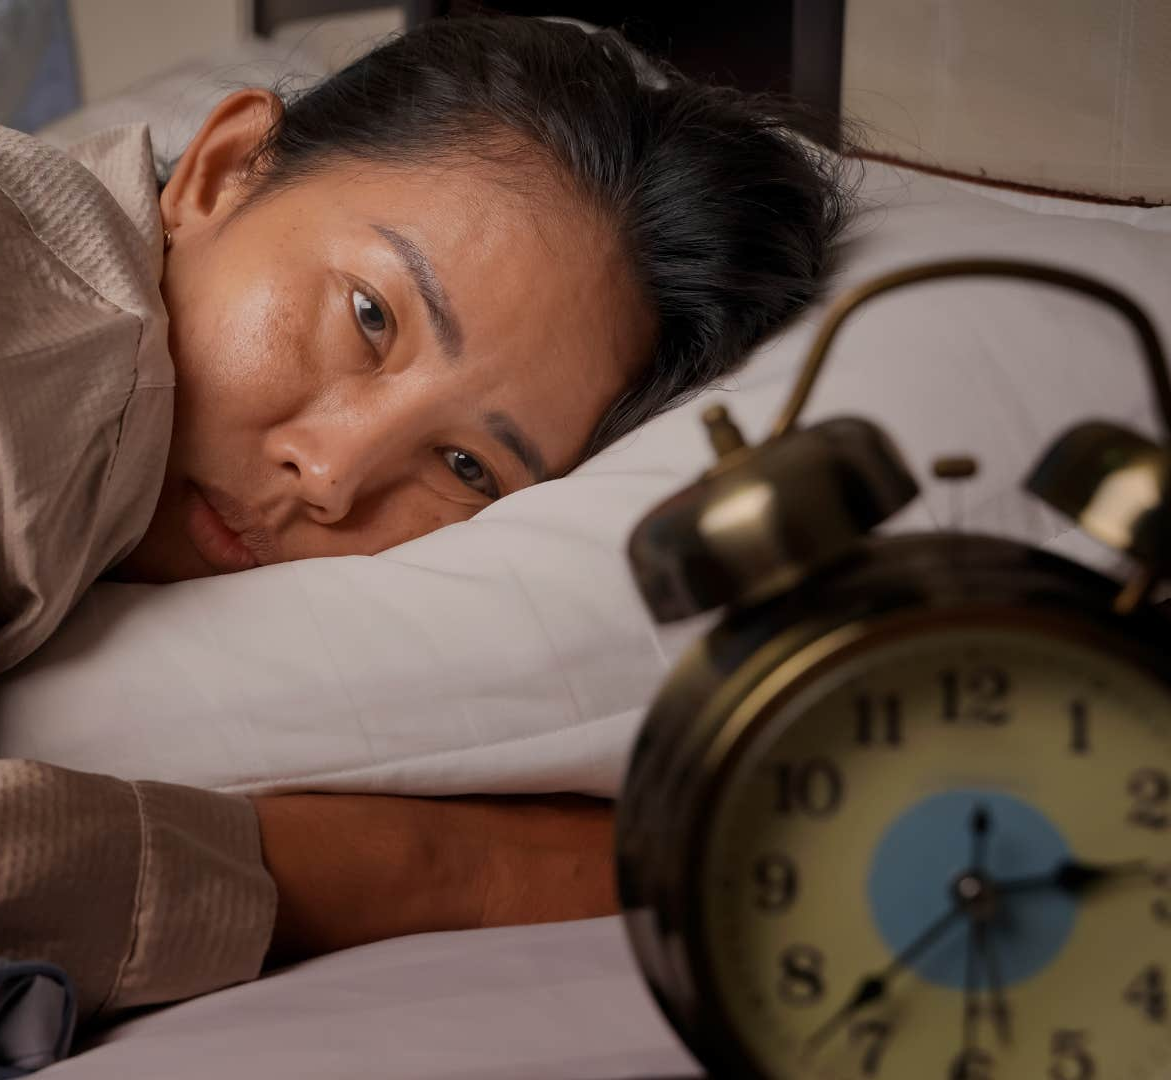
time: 2:37
